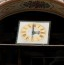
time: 2:59
